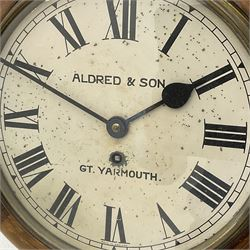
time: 1:49
